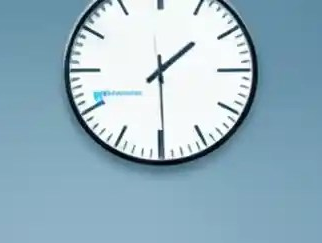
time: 1:29
